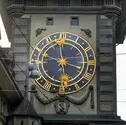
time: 5:58
